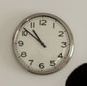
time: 10:51
